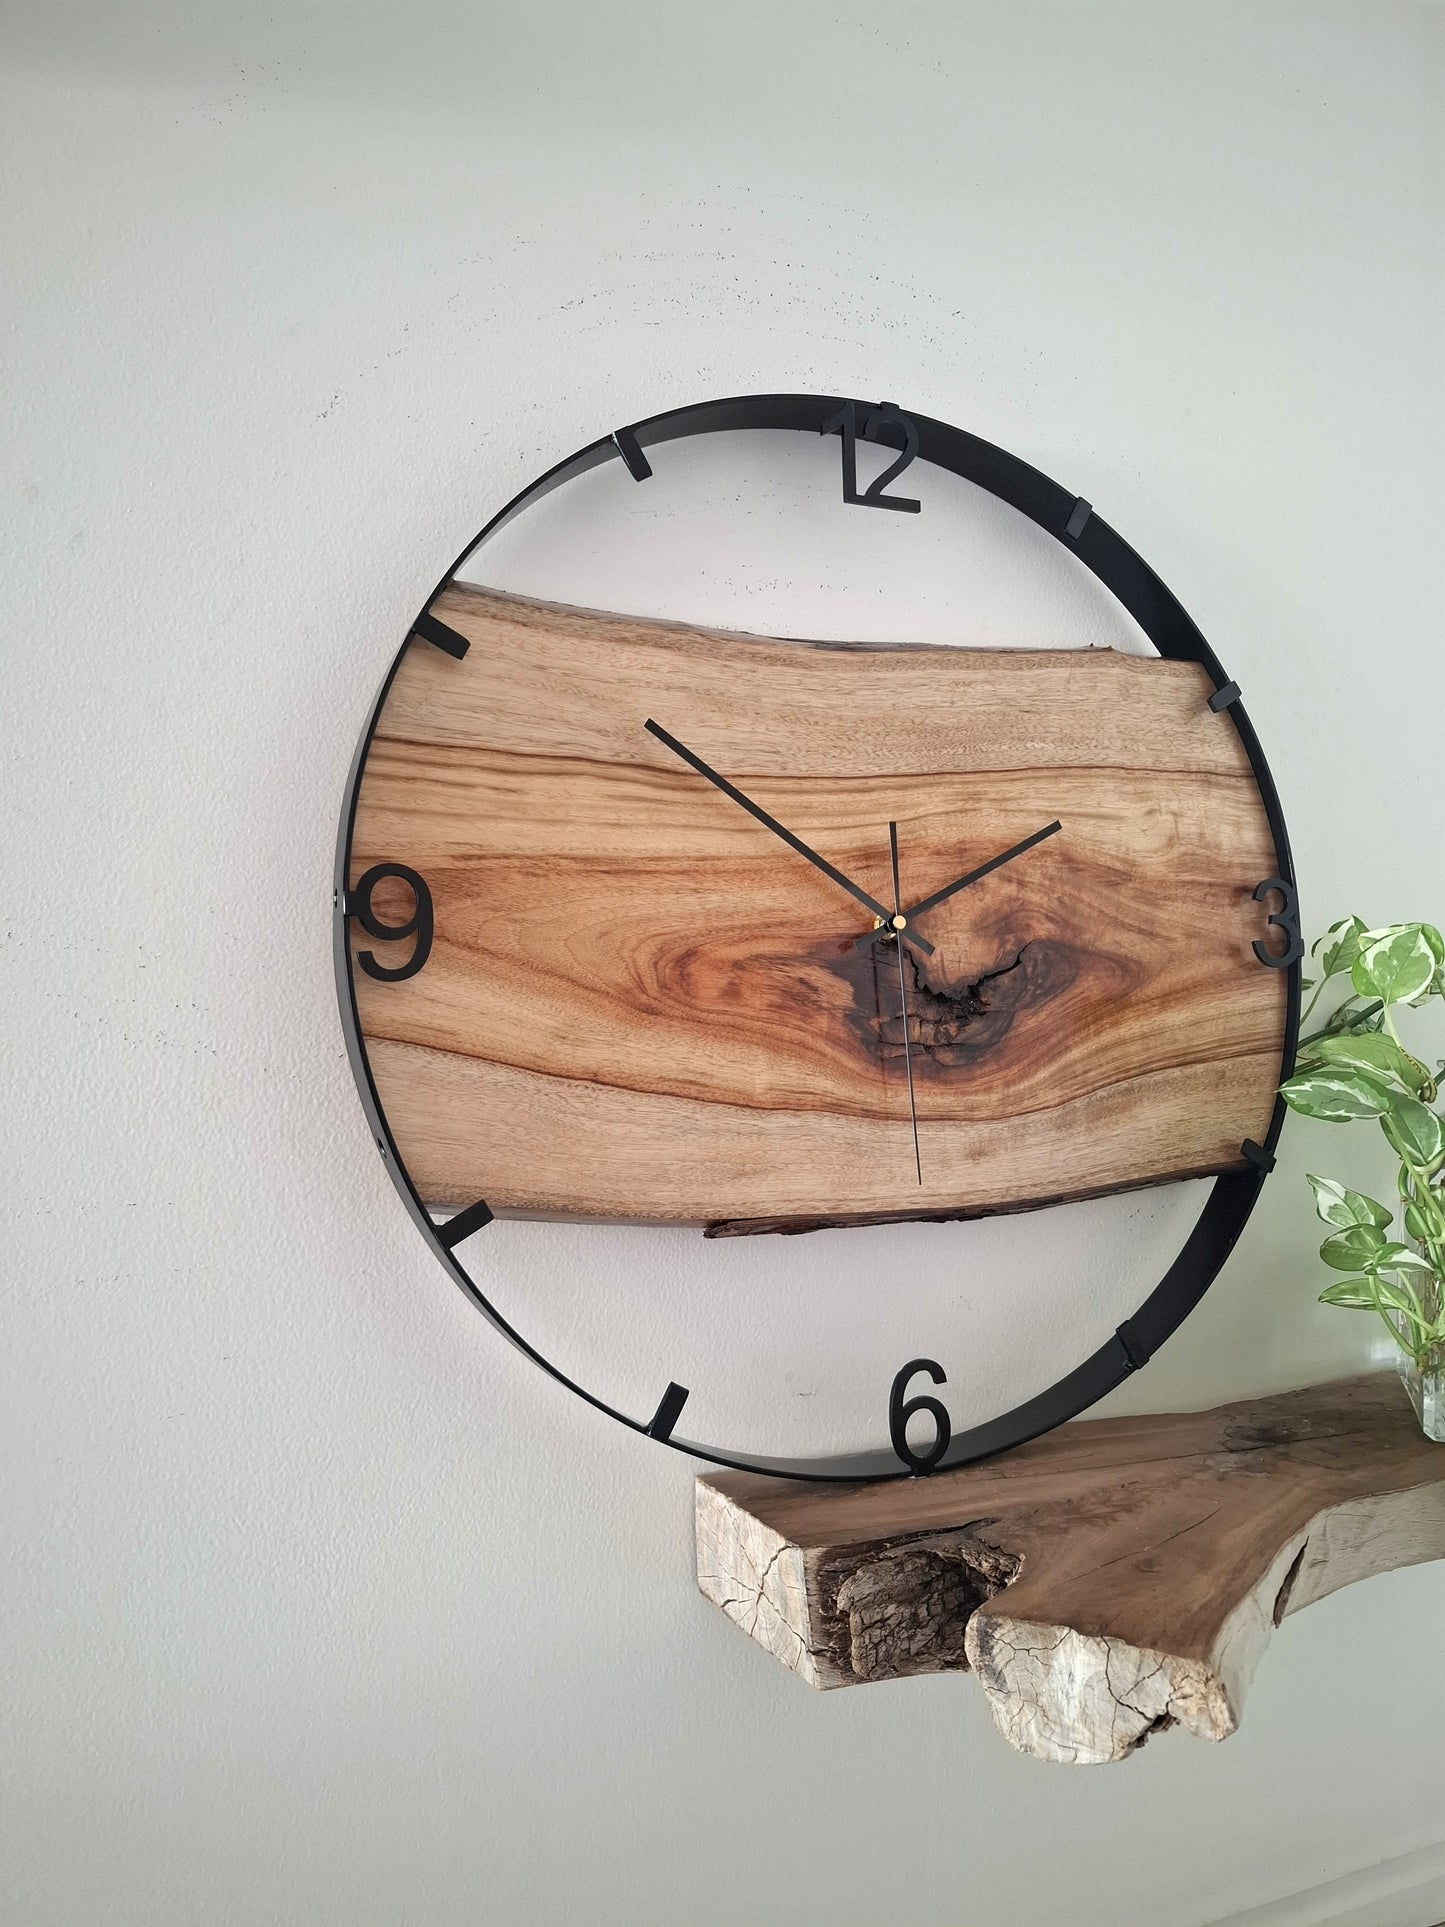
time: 1:51
